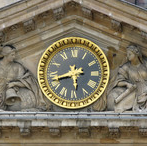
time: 5:42
